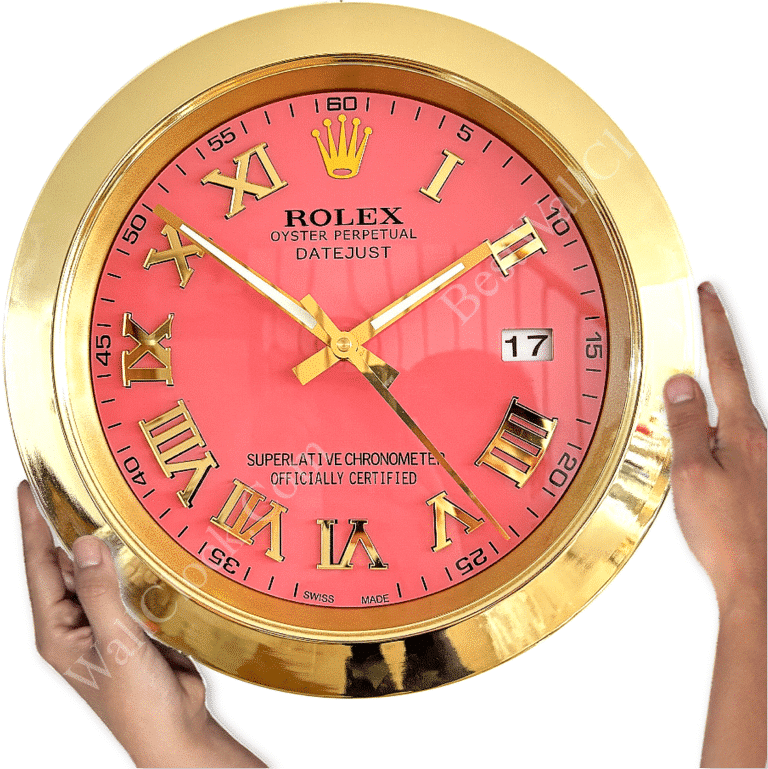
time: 1:51
